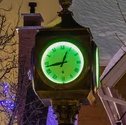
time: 12:43
